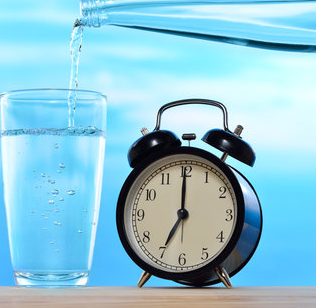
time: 7:00
